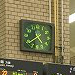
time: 4:38
